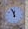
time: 11:56
